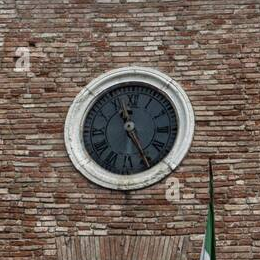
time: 11:25
